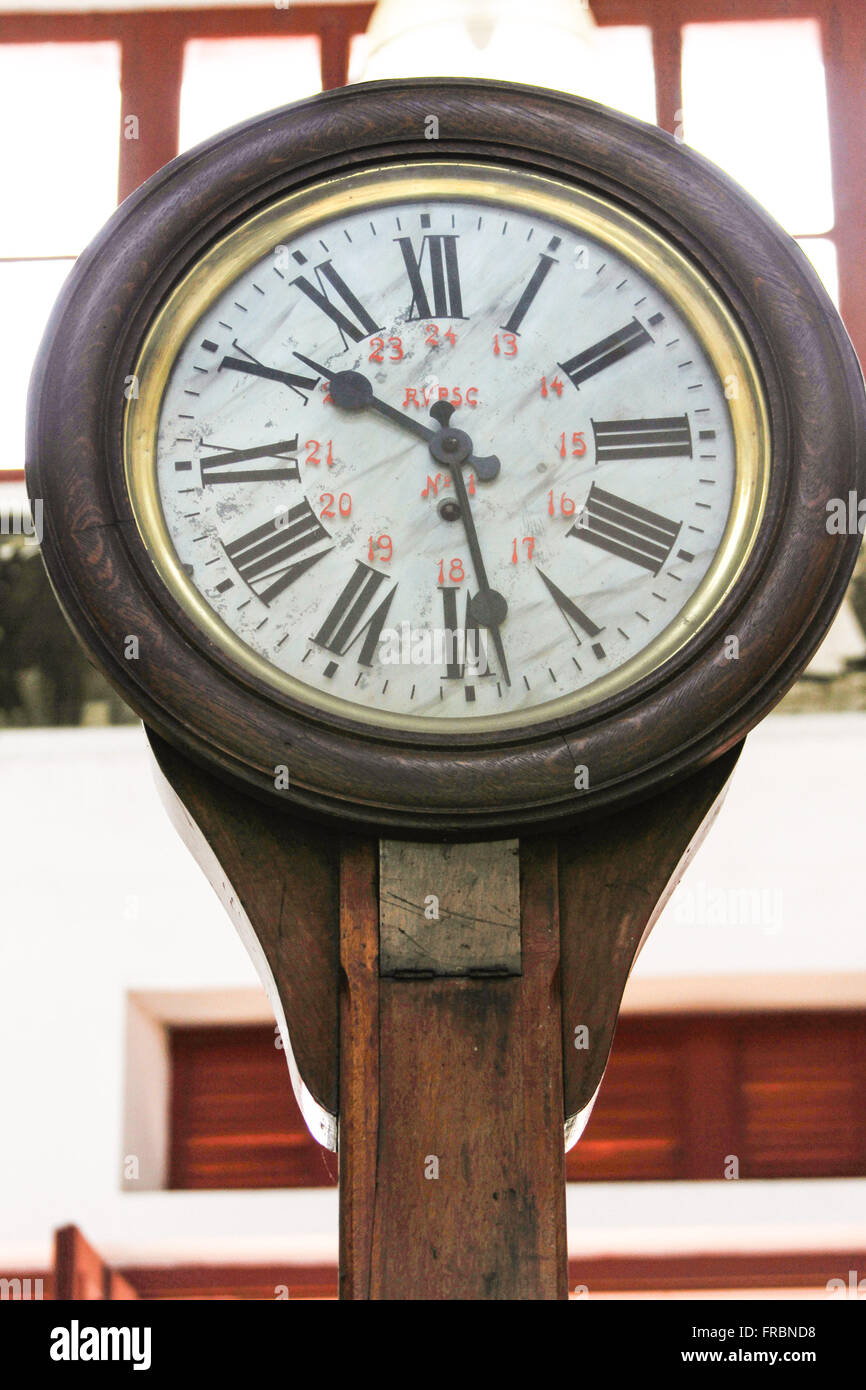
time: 10:28
